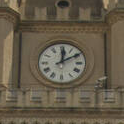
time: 12:09
